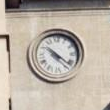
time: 10:21
